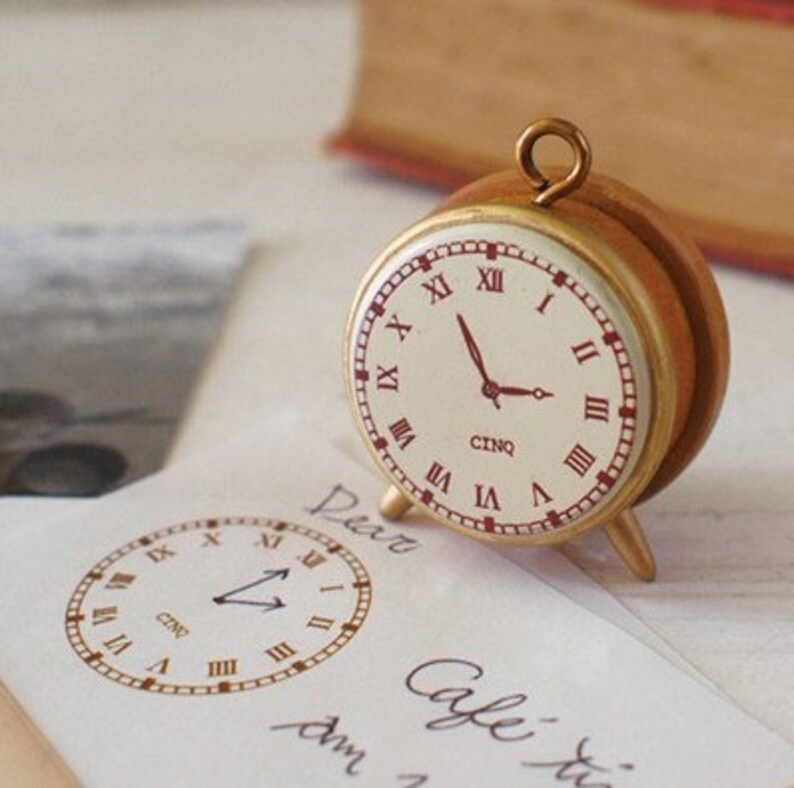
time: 2:55
